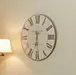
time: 6:29
